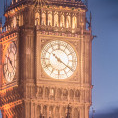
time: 10:20
